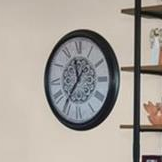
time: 11:35
